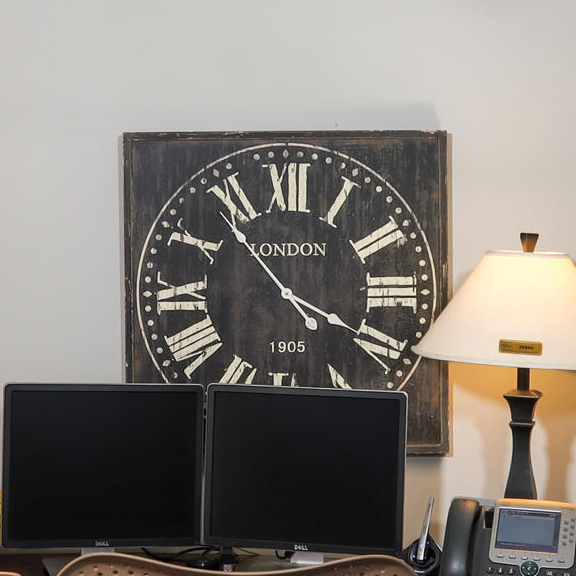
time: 3:53
